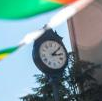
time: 3:09
